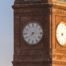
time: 7:25
